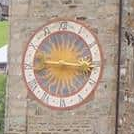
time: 9:16
